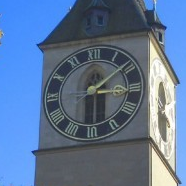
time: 3:08
